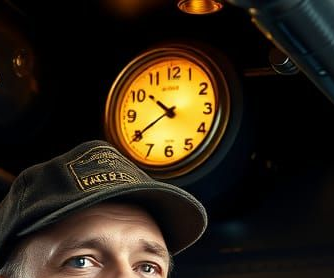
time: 10:39
